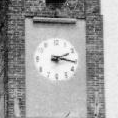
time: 2:16
